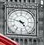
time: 4:47
